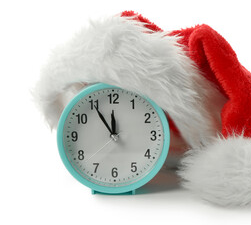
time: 11:54
